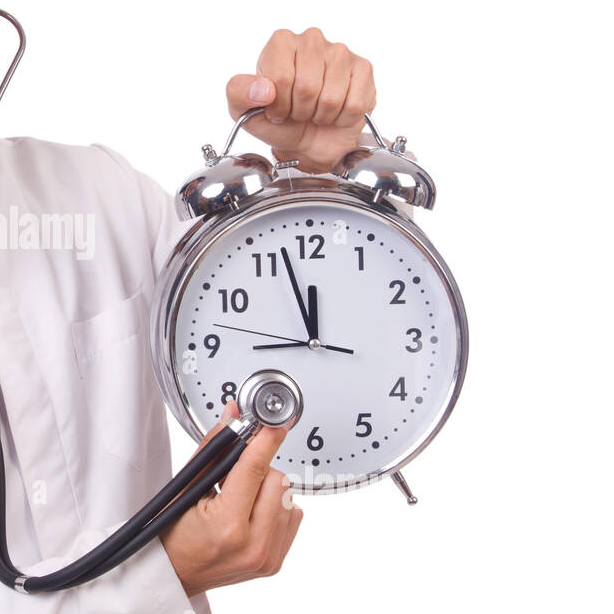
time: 11:57
